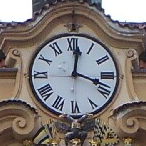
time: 12:18
